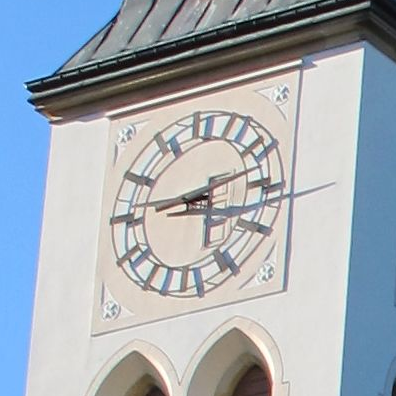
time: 9:12
